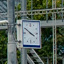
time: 3:50
